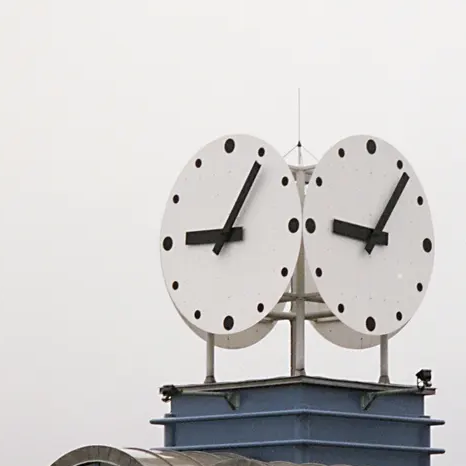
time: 9:05
